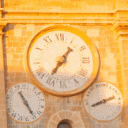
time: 1:36
